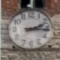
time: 2:15
